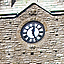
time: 12:26
